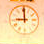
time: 9:00
